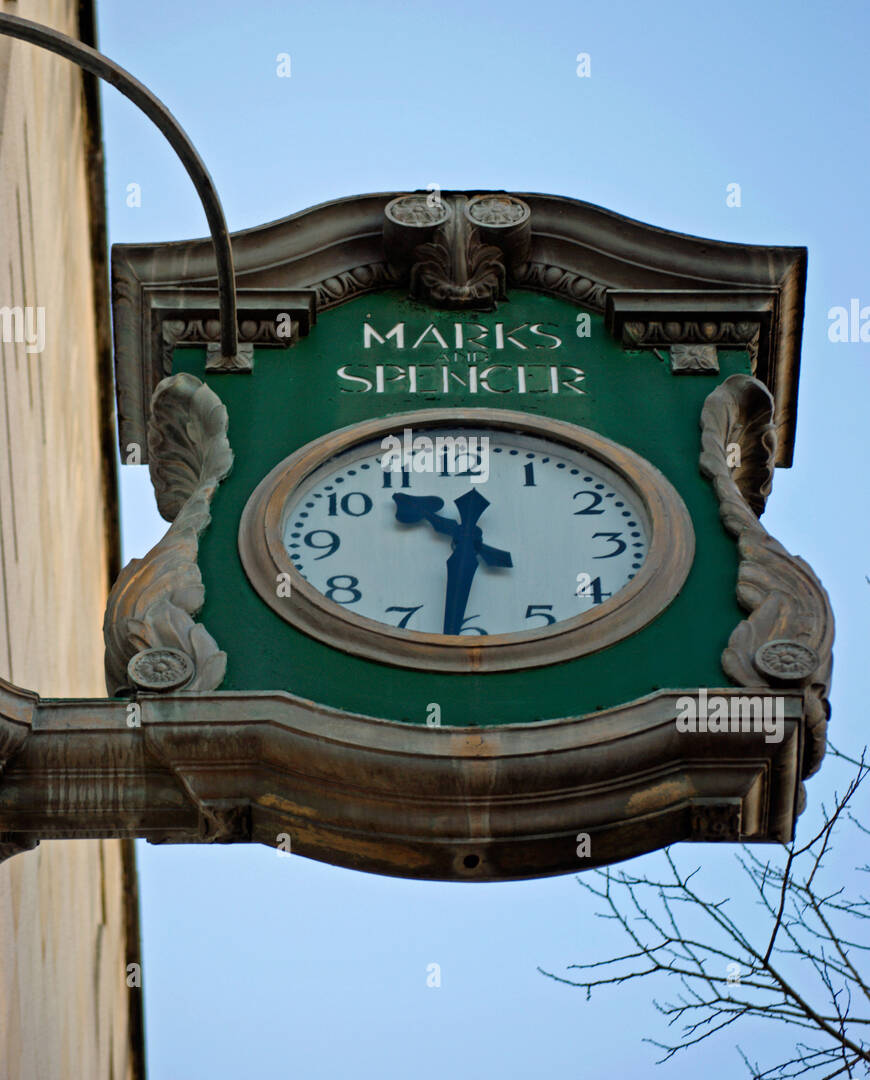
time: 10:31
